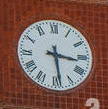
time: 3:28
